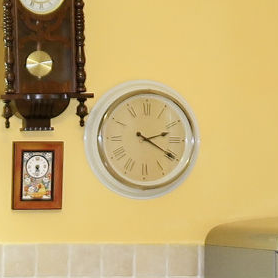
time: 2:19
